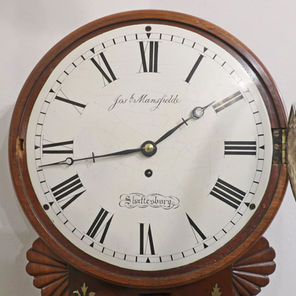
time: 1:43
